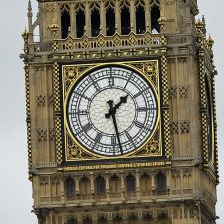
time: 1:28
